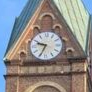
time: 9:34
